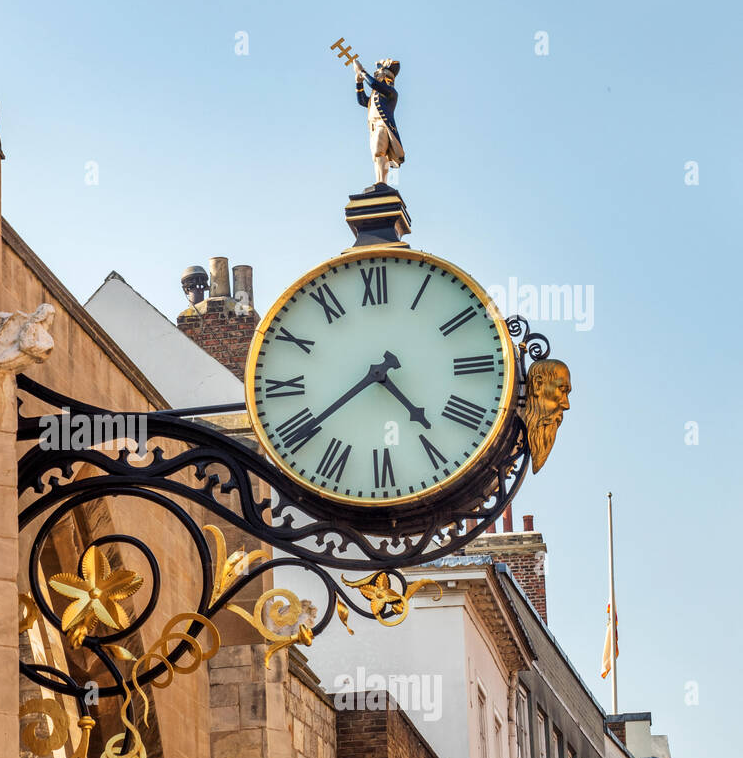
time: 4:38
